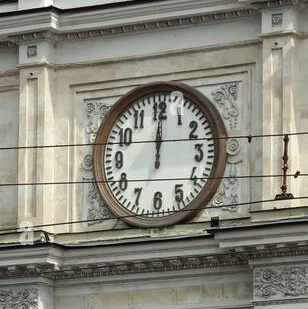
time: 12:00
